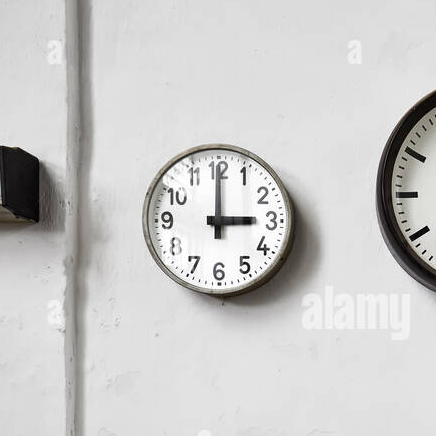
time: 3:00
